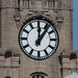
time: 12:06
